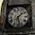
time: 1:28
